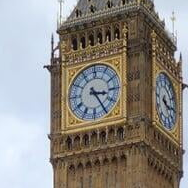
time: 3:24
